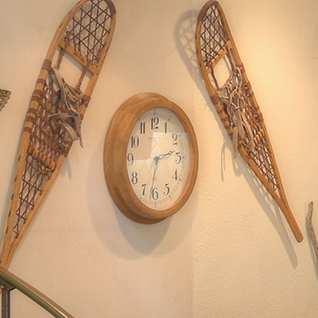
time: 2:32
